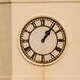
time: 1:06
